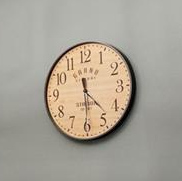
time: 4:29
